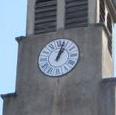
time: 1:03
